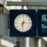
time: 6:14
